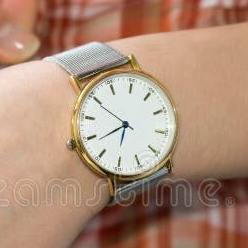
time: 7:49
